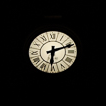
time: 6:12
